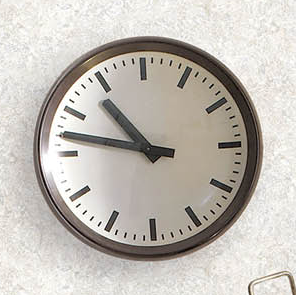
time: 10:47
